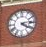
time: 4:13
